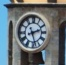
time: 2:27
